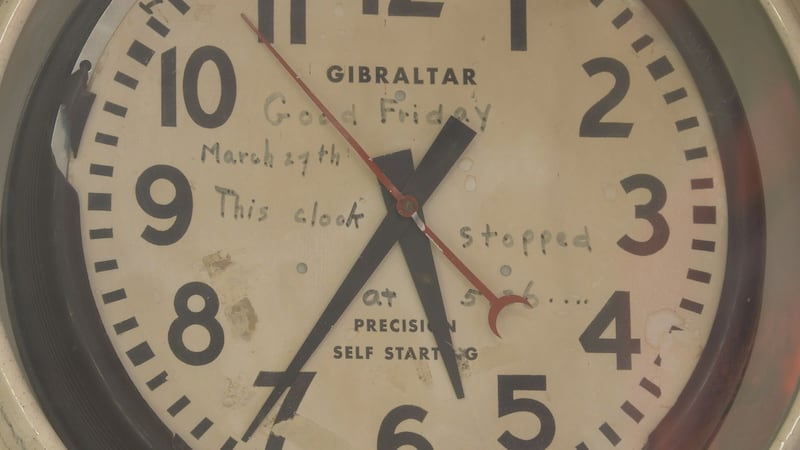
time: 5:35
